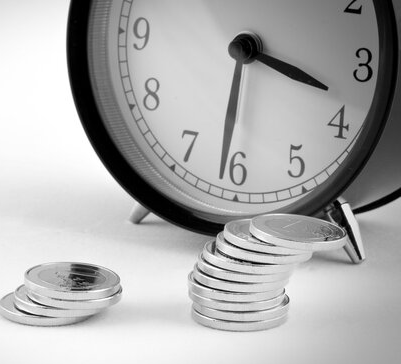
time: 3:31
